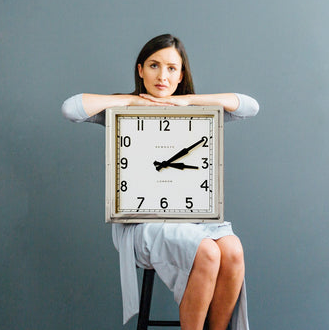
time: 3:09
